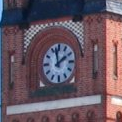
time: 1:57
